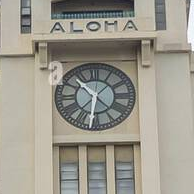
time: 10:31
